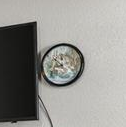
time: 8:51
